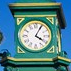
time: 4:04
